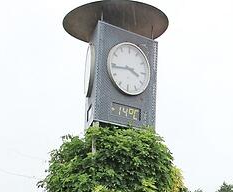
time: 3:44
